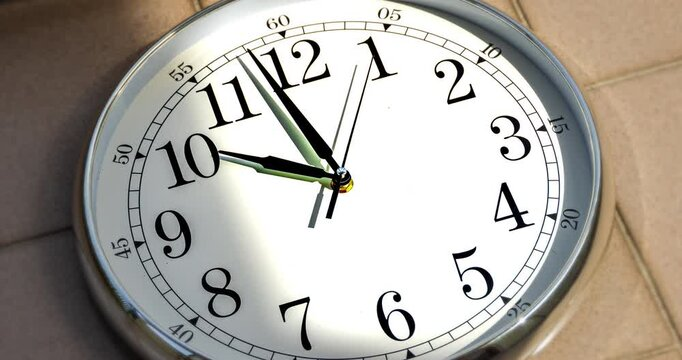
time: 9:58
